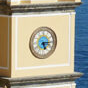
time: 5:15
